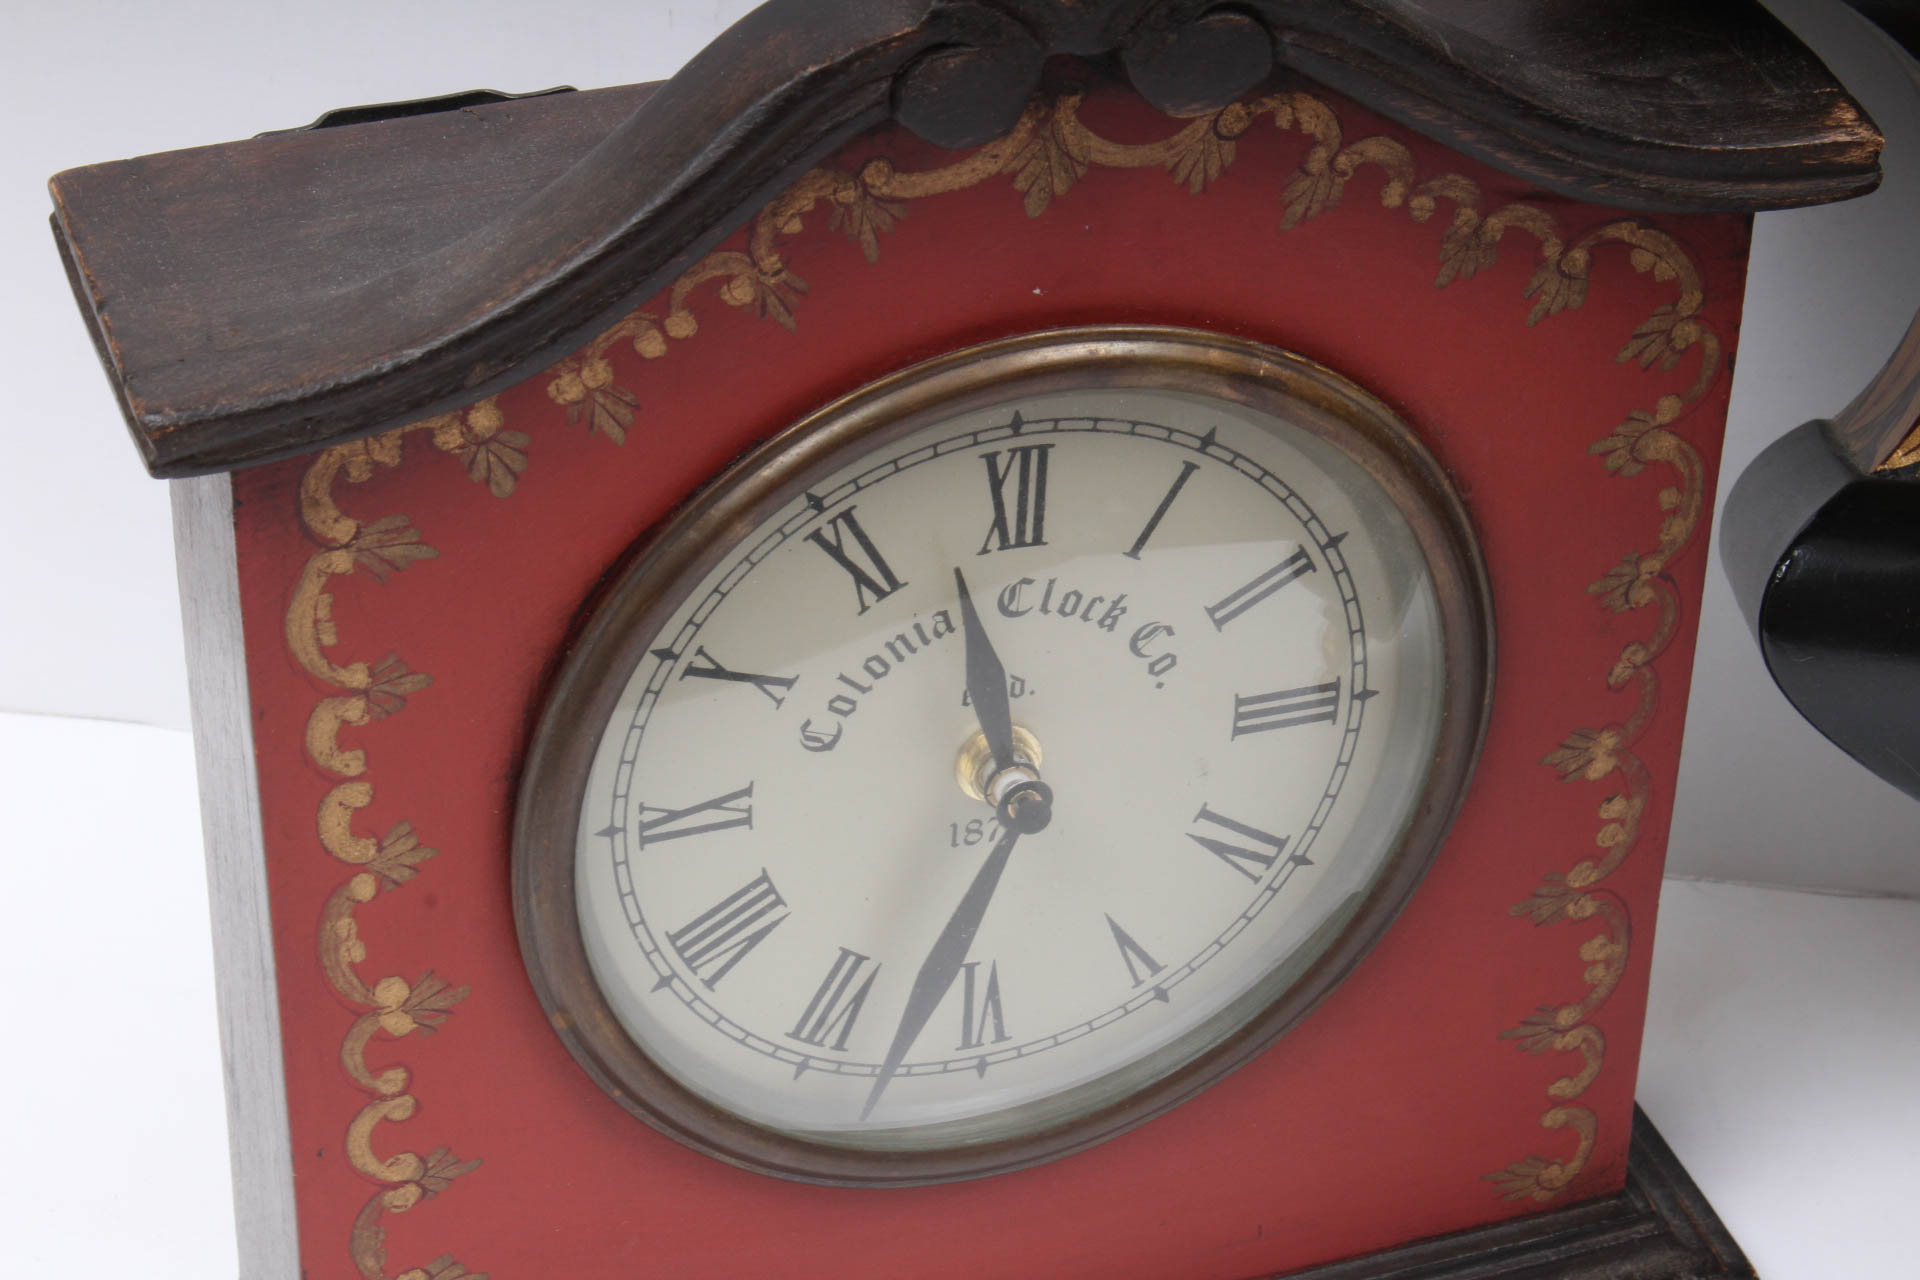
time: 11:32
